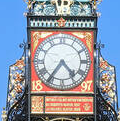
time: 4:36
